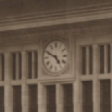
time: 4:49
